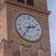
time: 2:35
